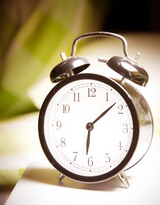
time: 6:08
